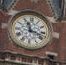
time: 11:17
